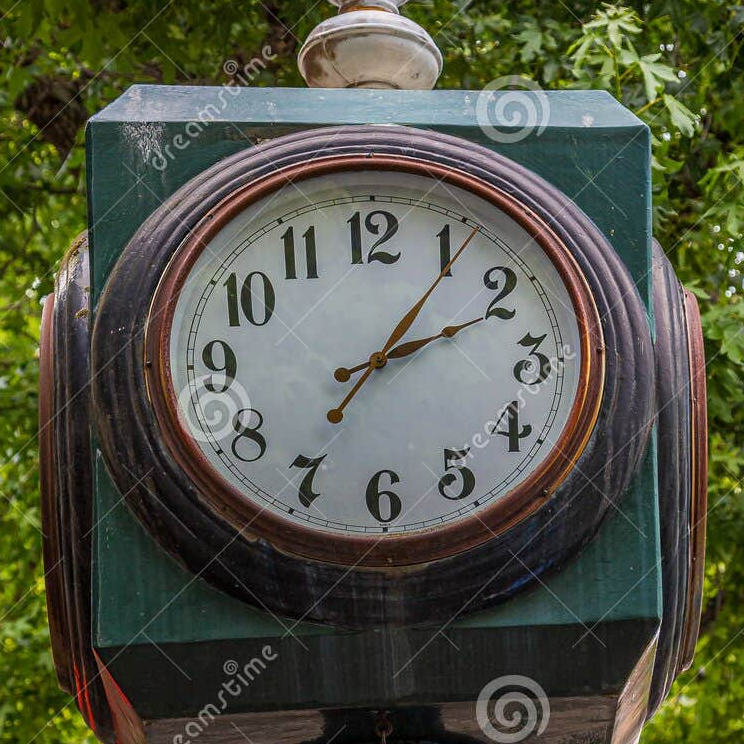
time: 2:06
